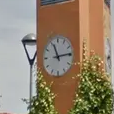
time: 11:14
